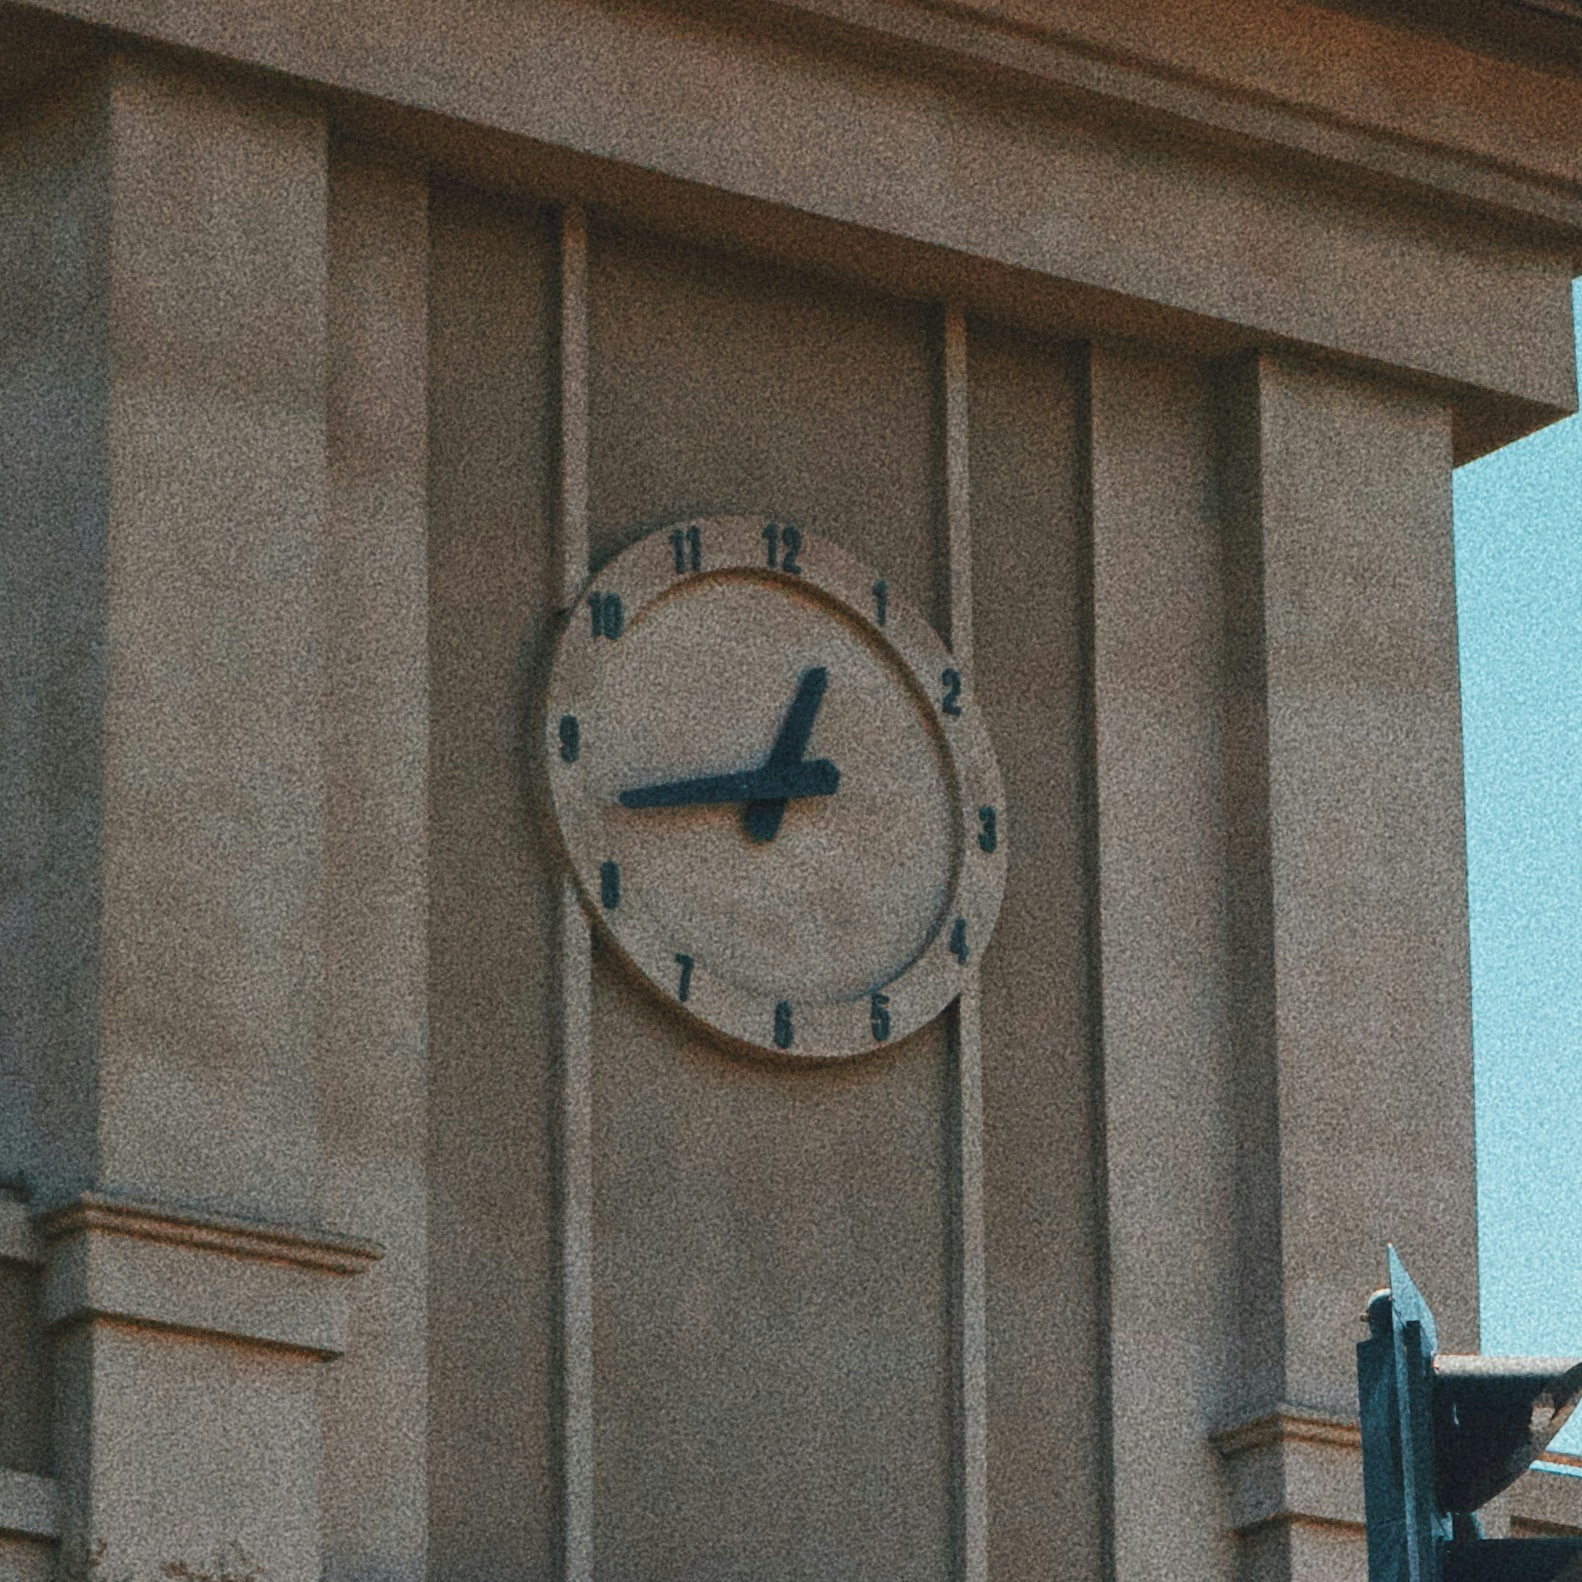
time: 12:42
